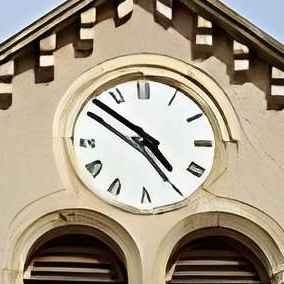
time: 4:51
